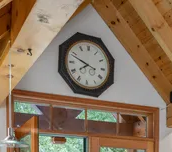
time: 7:48
